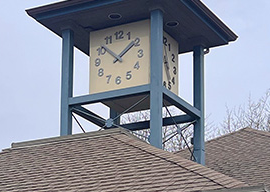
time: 1:51
